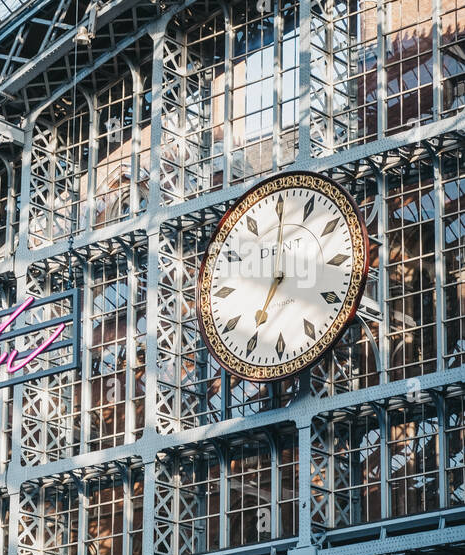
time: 7:00
